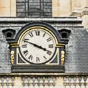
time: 3:48
